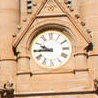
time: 9:44
